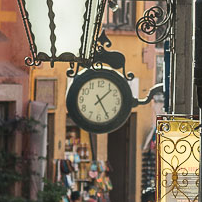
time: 1:24
